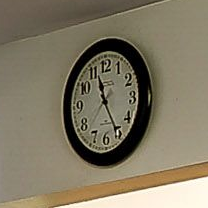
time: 11:25
